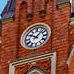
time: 10:07
